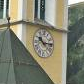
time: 10:14
